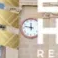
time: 11:47
